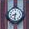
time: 8:32
